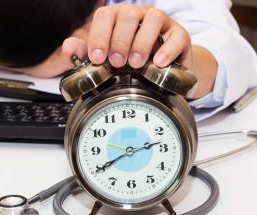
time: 2:40
